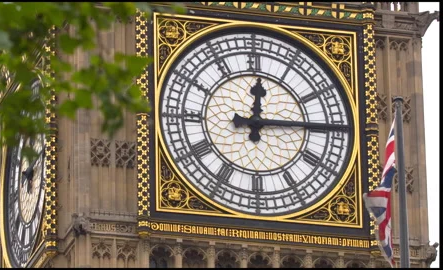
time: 12:14
